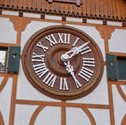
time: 5:08
